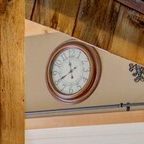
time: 11:40
